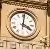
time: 4:01
